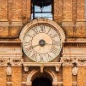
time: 8:16
